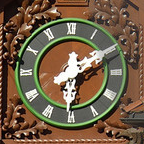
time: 6:10
